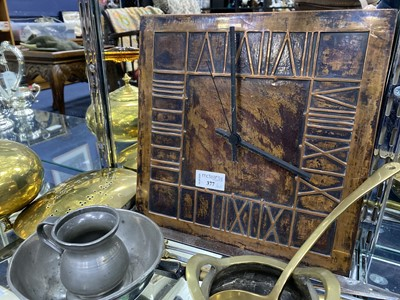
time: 4:00
